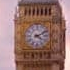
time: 4:10
